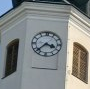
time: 3:37
